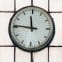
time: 11:45
